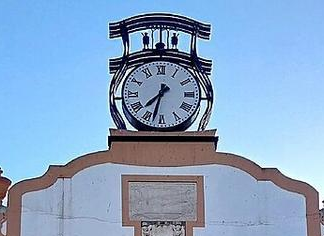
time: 7:32
